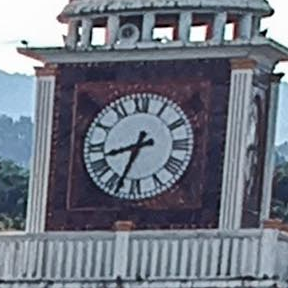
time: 8:33
